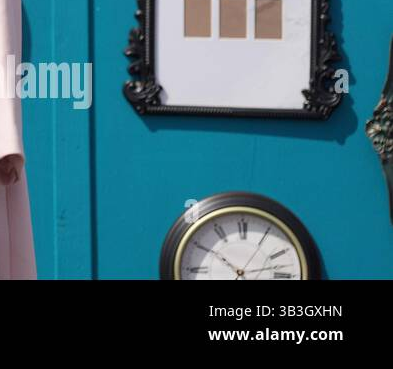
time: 2:50
